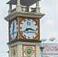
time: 8:16
